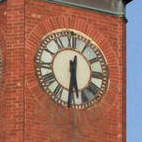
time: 5:31
